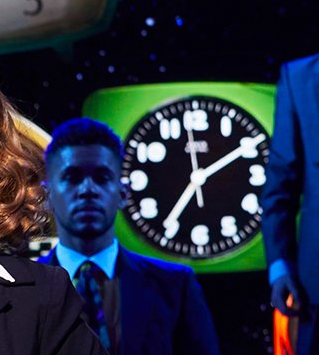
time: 11:35
